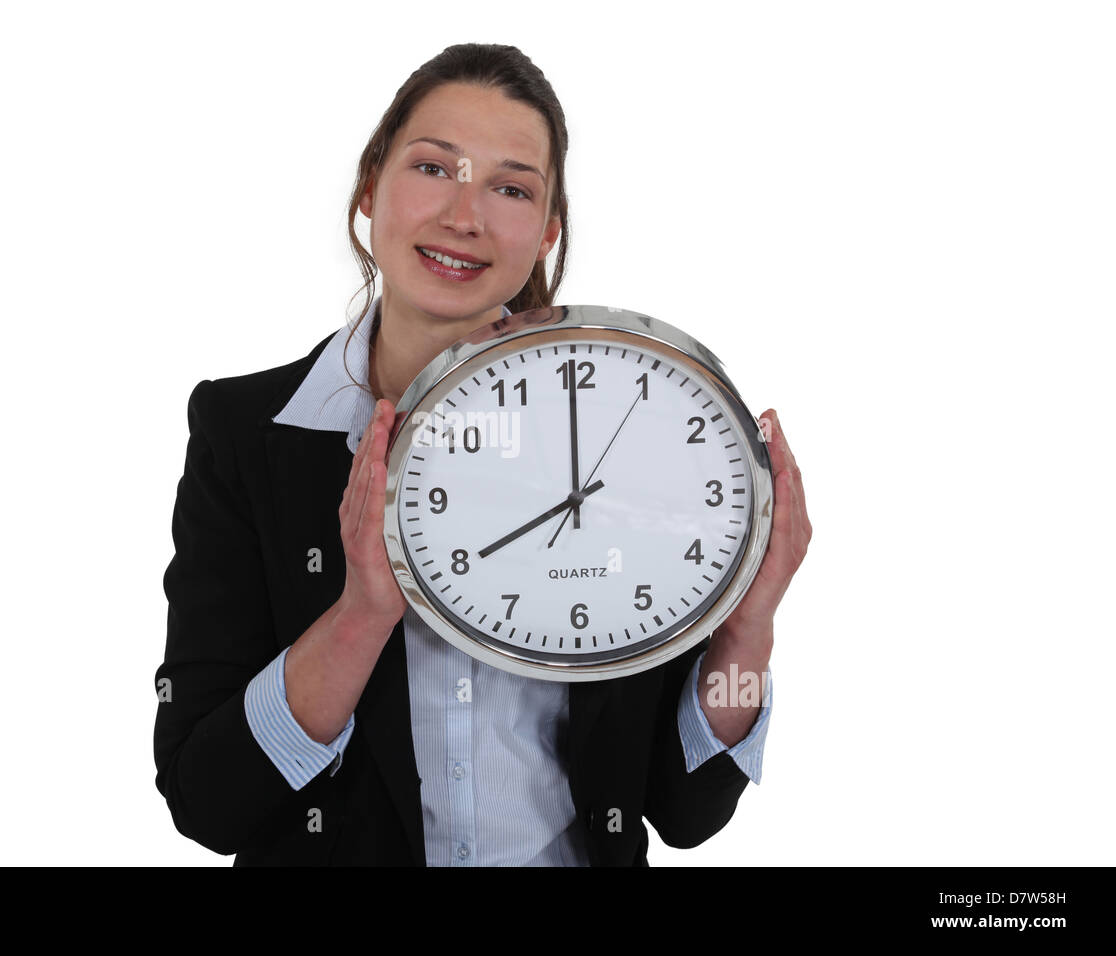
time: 7:59
